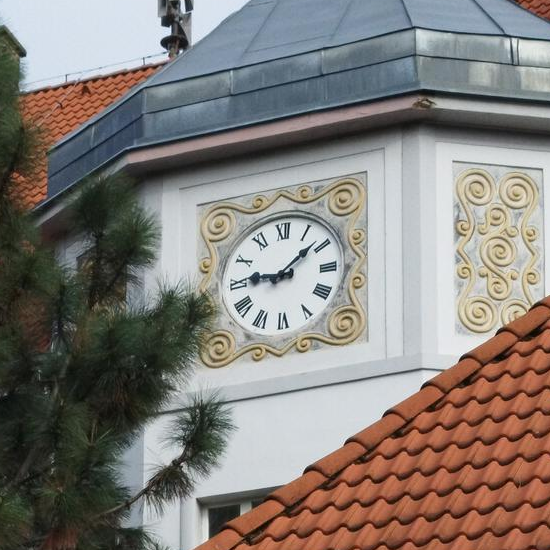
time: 9:08
